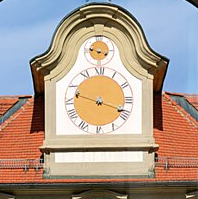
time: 3:47
